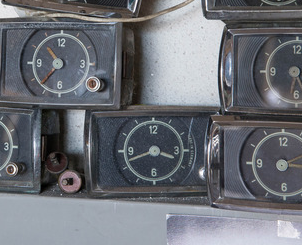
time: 3:41
